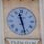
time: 11:27
